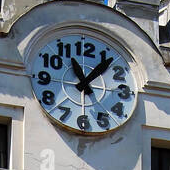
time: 11:06
